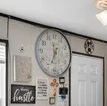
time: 11:33
